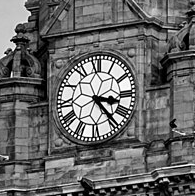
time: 3:23
